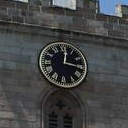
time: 12:16
